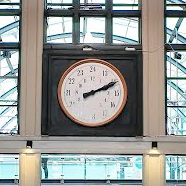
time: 2:10
